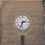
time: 2:33
